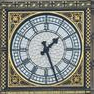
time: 1:26
